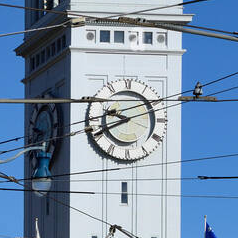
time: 9:41
